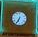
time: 6:34
